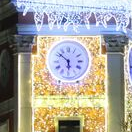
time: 5:51
